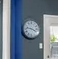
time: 3:46
